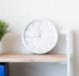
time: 11:44
